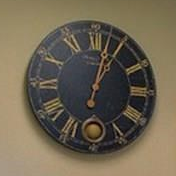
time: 1:02
